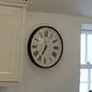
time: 6:58
